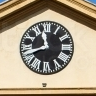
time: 11:41
